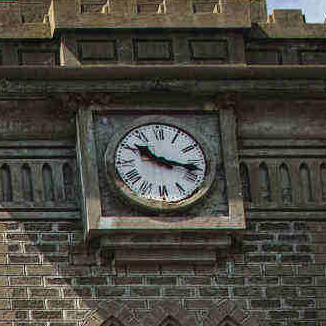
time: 10:17
